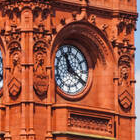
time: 11:19
